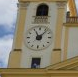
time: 11:07
